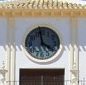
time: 3:58
